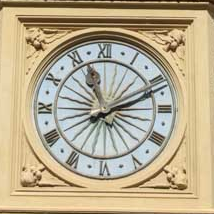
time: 2:11
